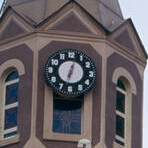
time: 12:32
